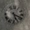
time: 5:18
